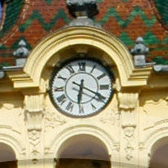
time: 6:19
